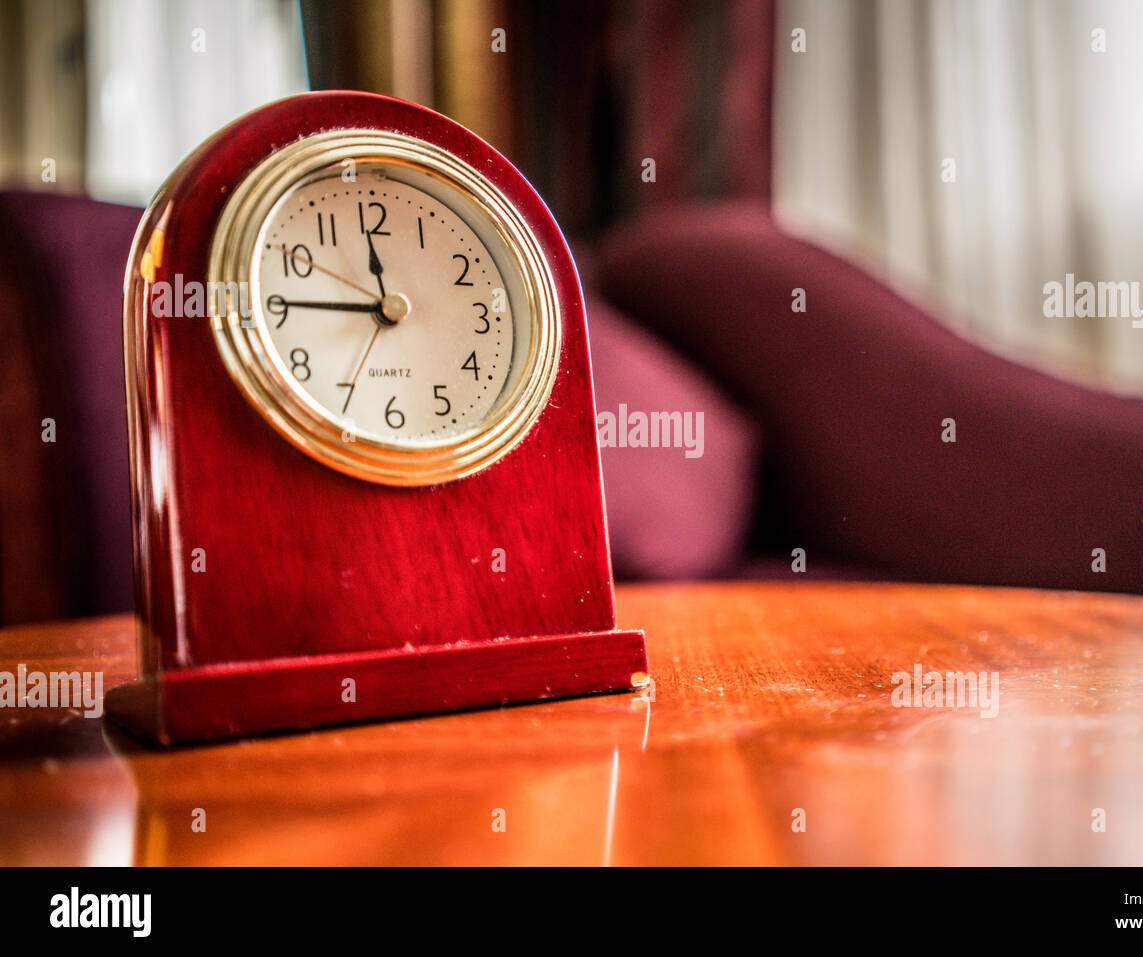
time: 11:45
